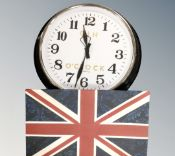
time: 11:32
